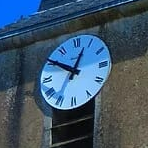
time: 12:50
